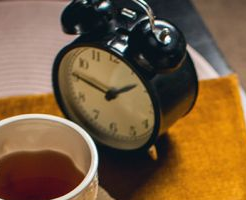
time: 1:46
